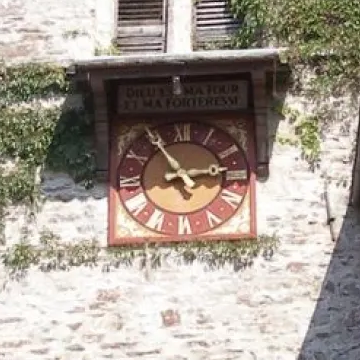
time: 2:54
